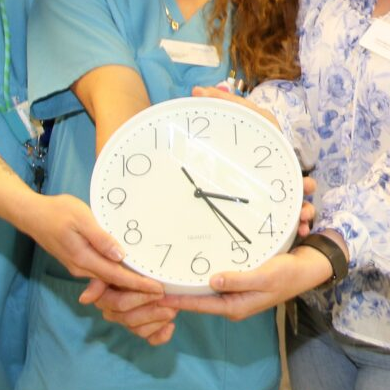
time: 3:23
